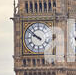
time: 9:51
